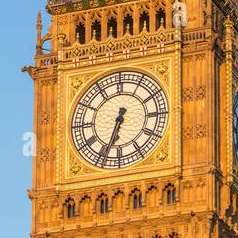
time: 6:33
